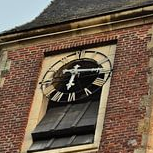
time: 6:15
